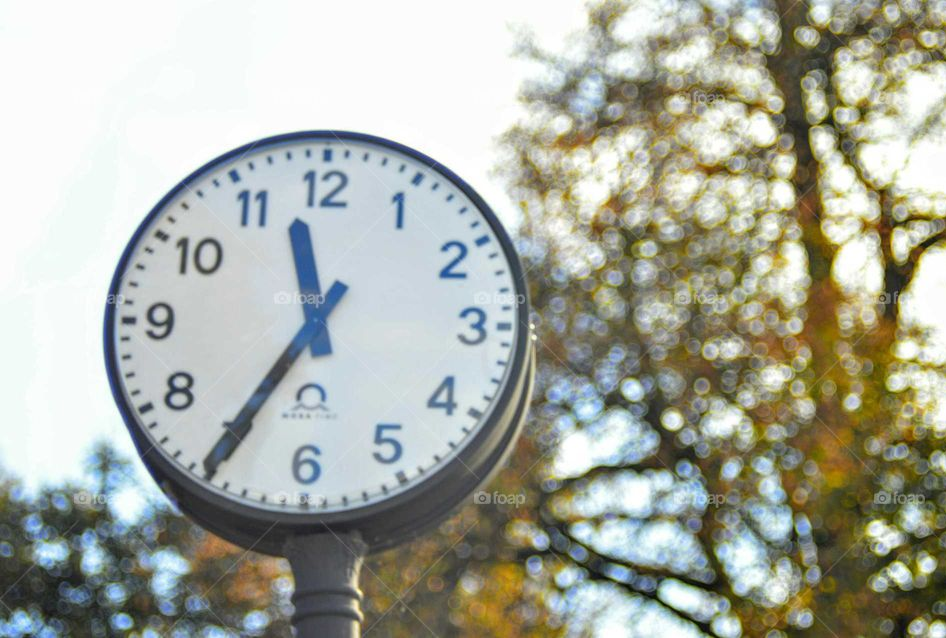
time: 11:35
